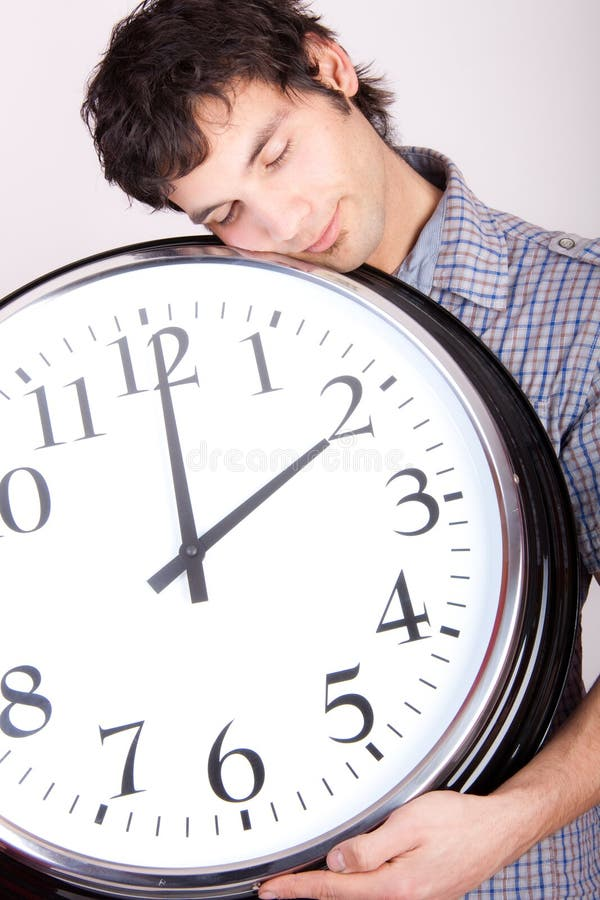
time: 2:00
